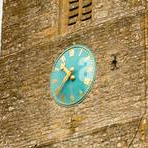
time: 10:37
